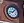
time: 9:07
